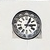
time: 3:04
